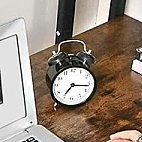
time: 7:16
